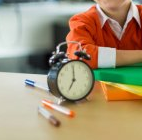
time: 7:00
